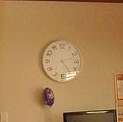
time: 2:24
